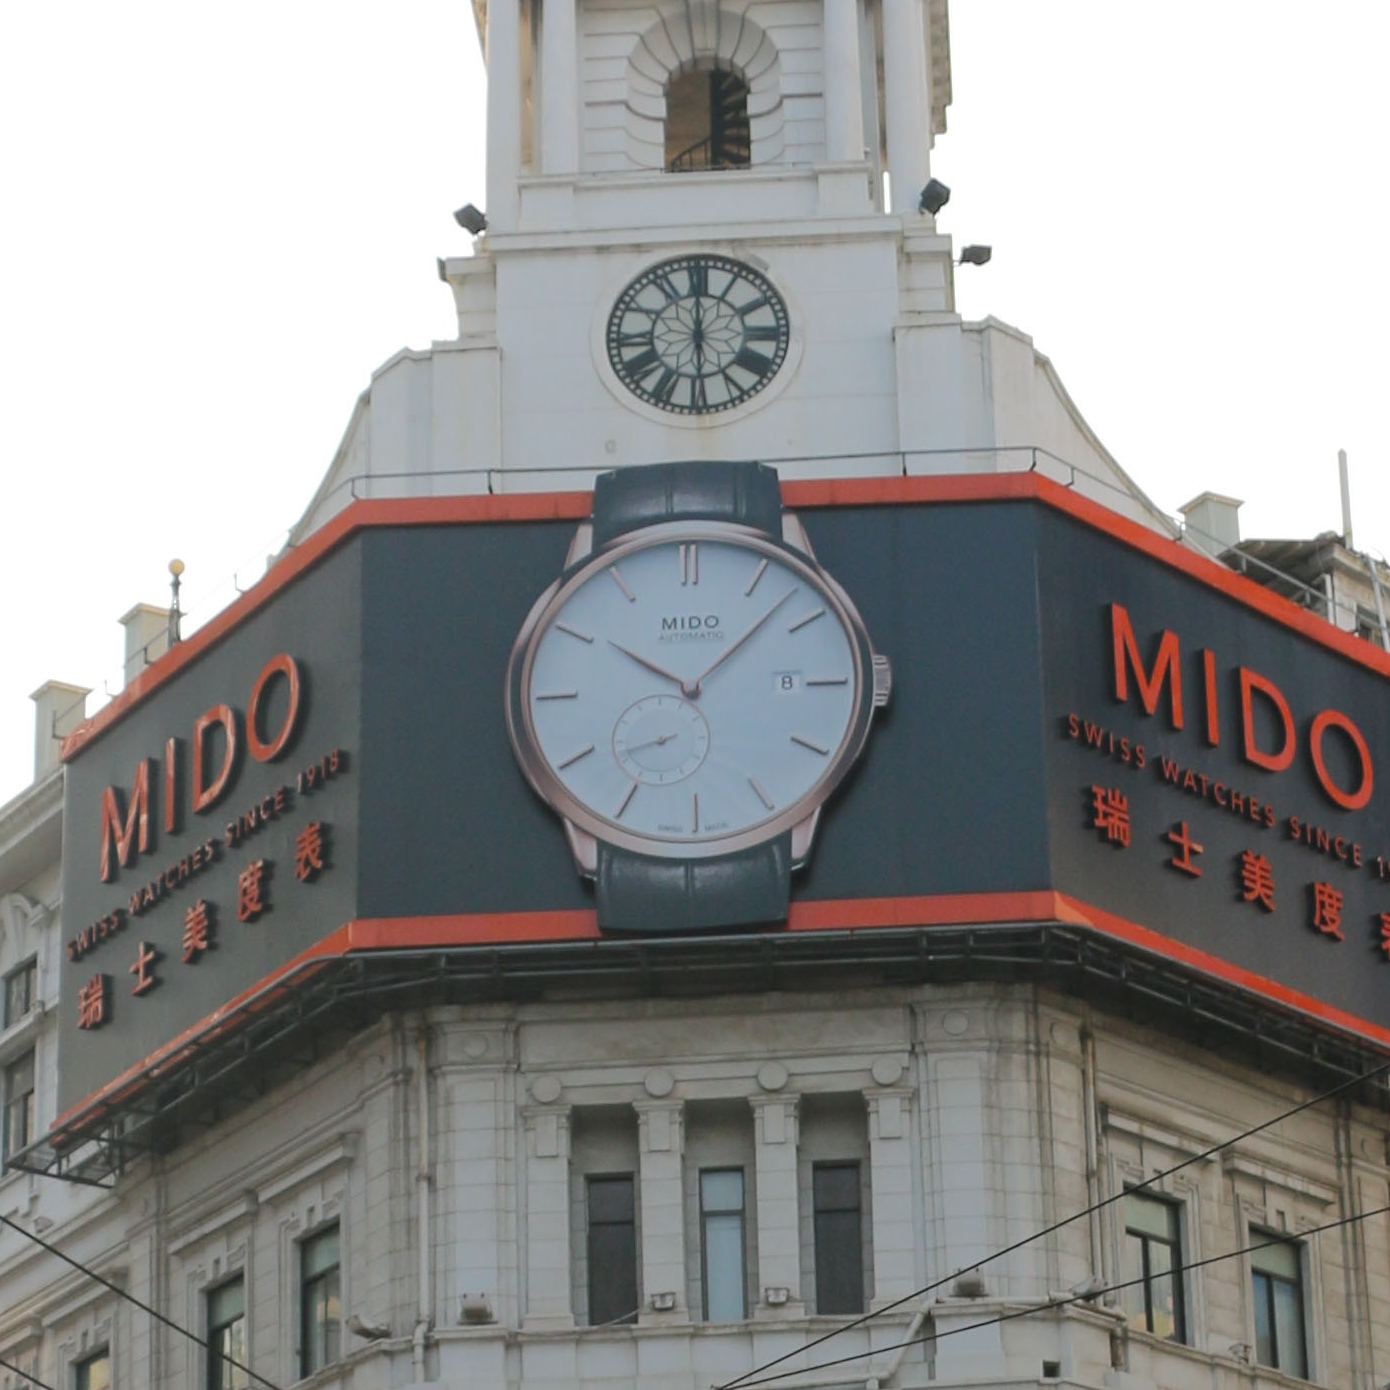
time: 10:07
